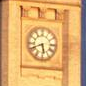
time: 5:41
